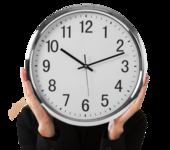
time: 10:11
